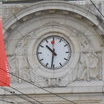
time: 10:31
